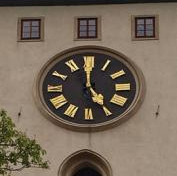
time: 4:59
